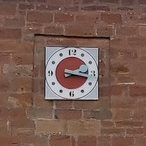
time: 2:17
